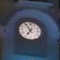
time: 6:54
